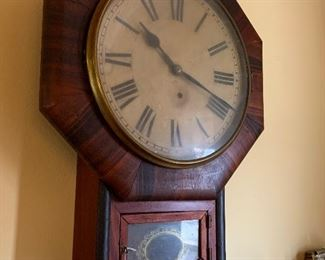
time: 10:18
